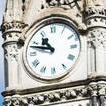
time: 10:48
